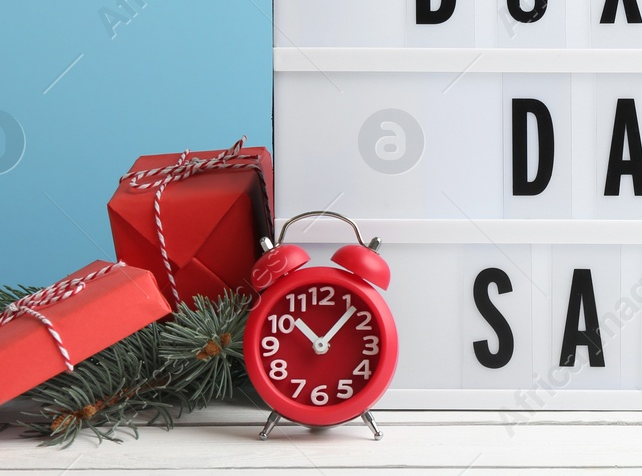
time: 10:07
